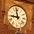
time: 8:57
